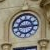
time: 2:44
